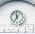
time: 11:35
